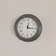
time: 12:16
